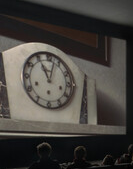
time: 11:02
